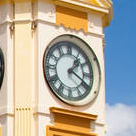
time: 1:19
